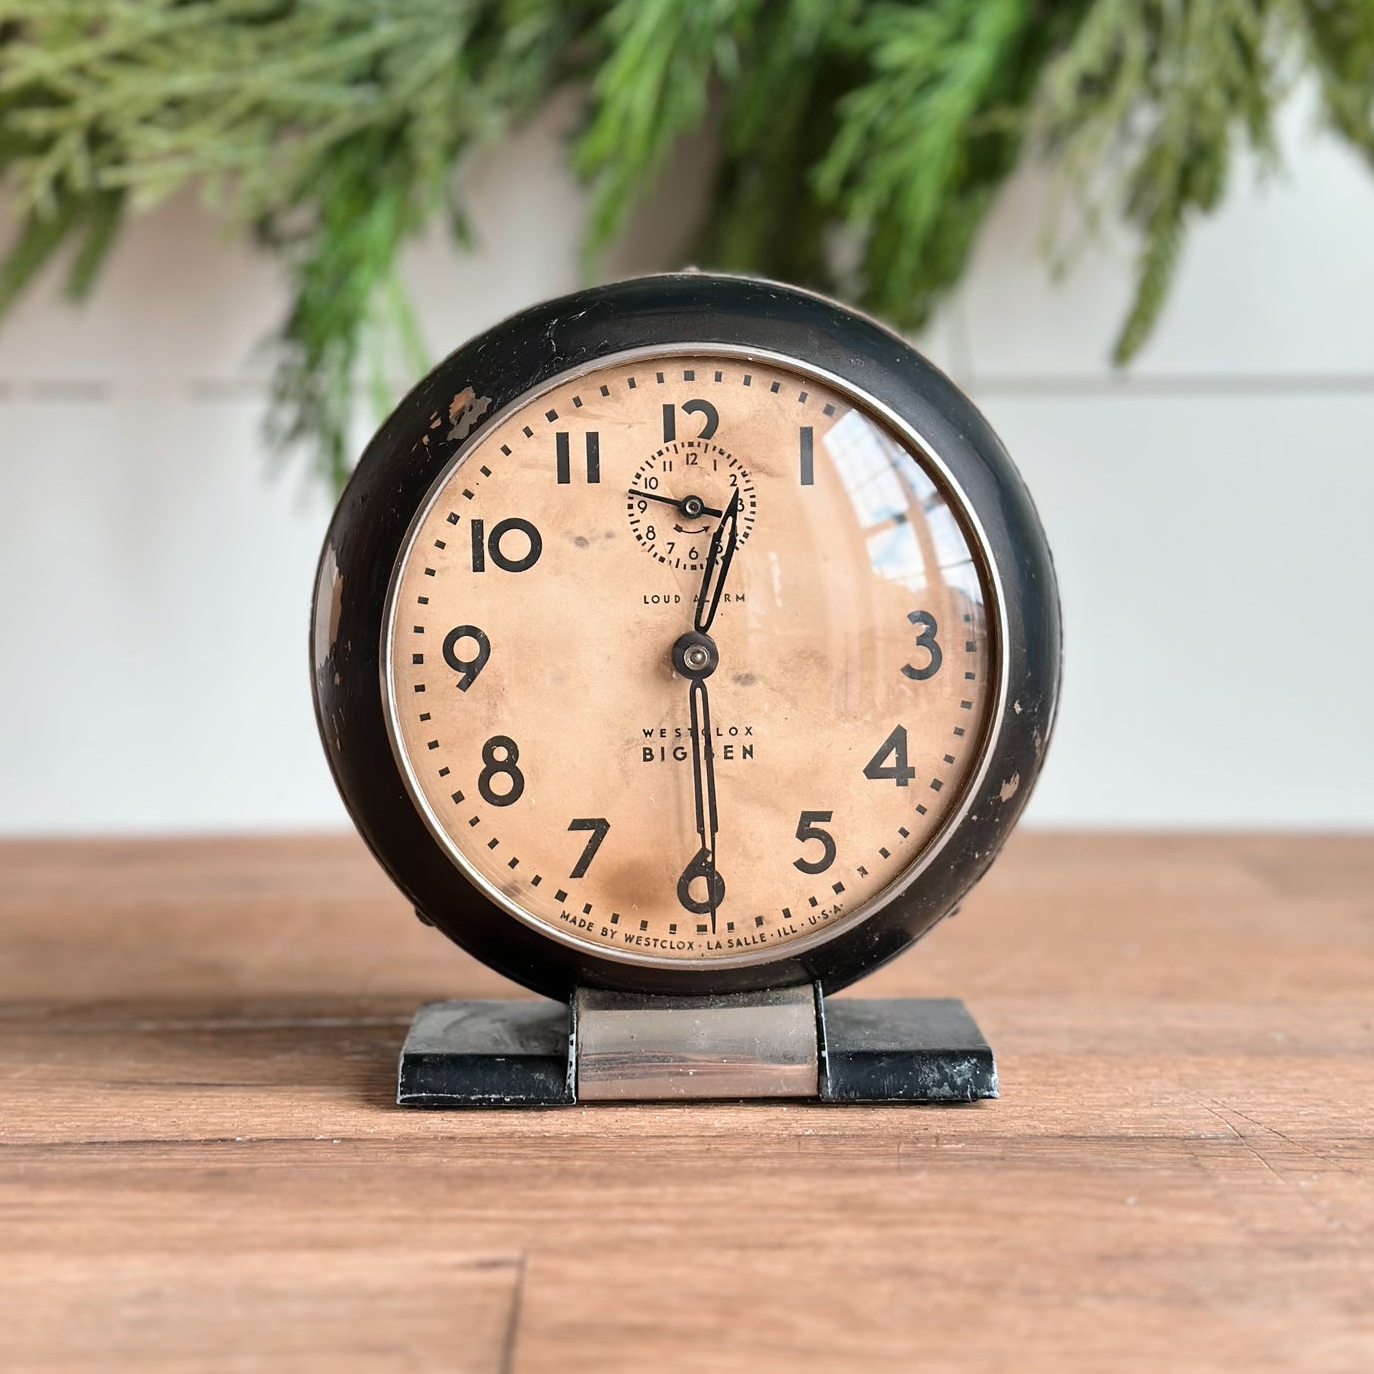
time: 12:29
